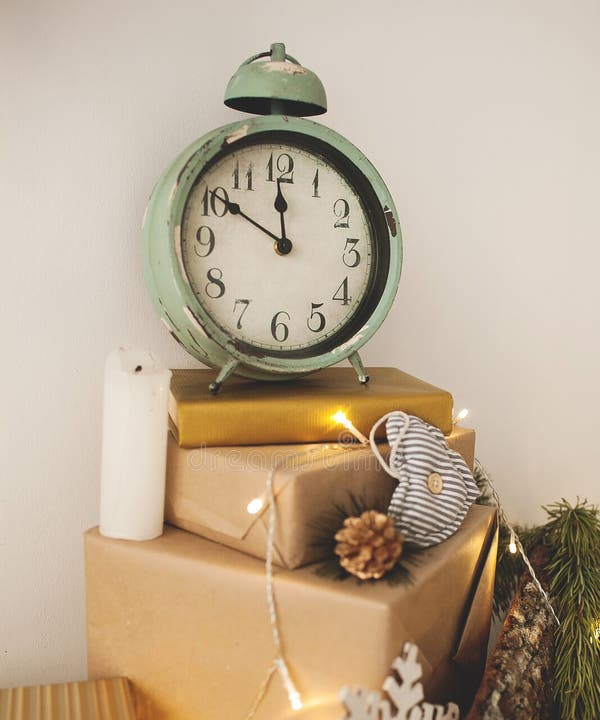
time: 11:50
